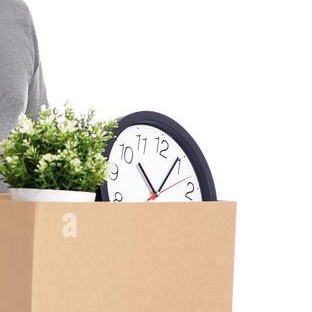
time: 10:04
